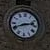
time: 8:12
